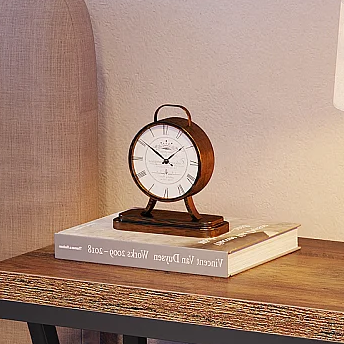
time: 1:50
